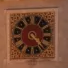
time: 4:21
